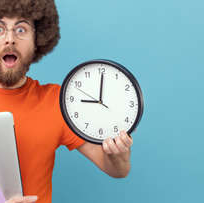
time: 9:00
